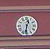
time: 12:31
